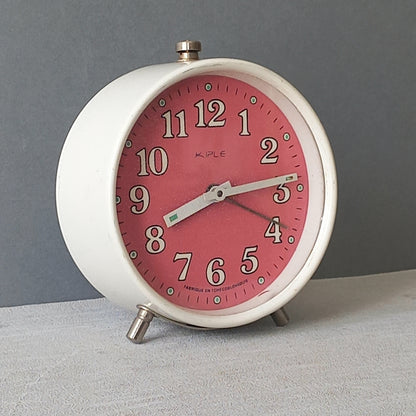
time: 8:14
